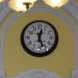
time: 12:26
